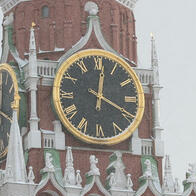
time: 12:19
